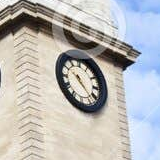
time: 10:22
